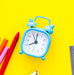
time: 7:59
